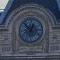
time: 12:52
